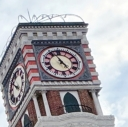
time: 4:56
